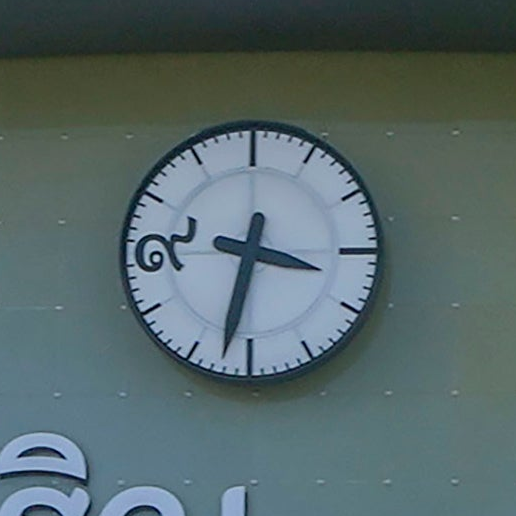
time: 3:32
